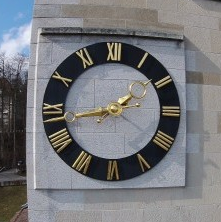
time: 1:43
